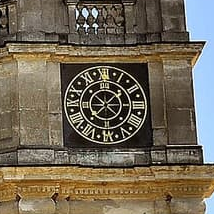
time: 7:22
